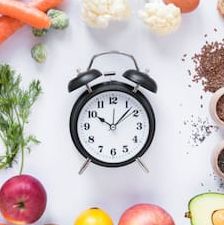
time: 10:07
